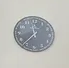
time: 11:36
